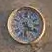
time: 4:31
